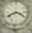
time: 3:40
